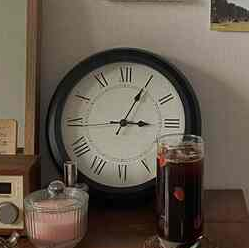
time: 3:04
